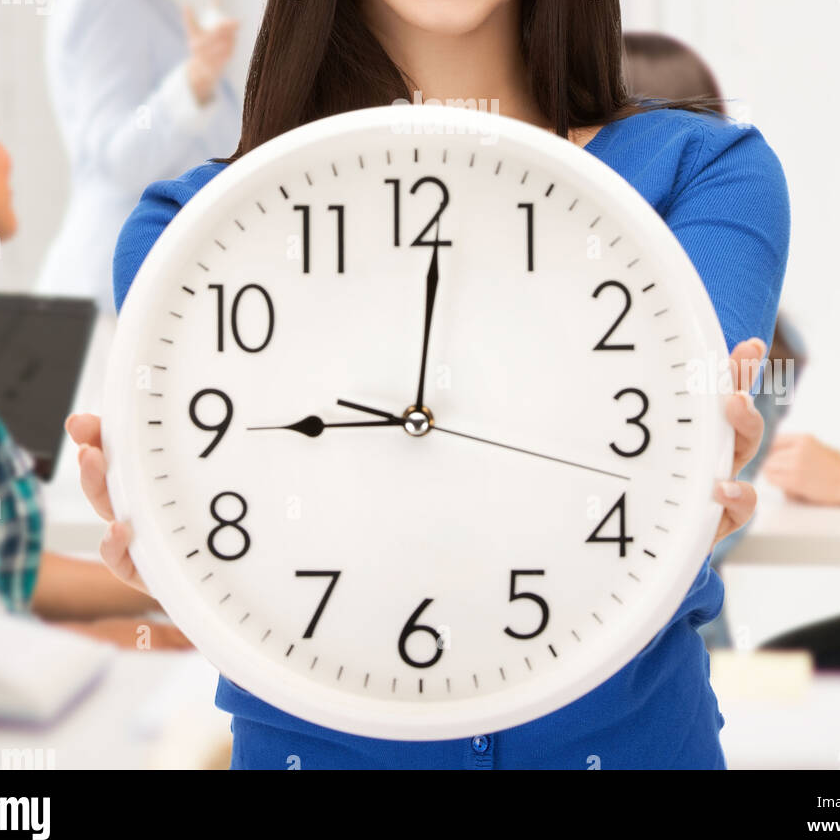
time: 9:01
